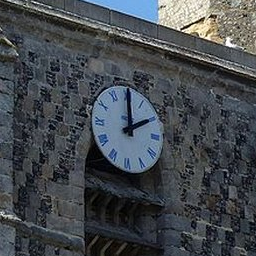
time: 2:00
